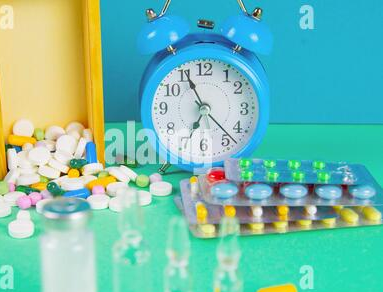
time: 6:55
